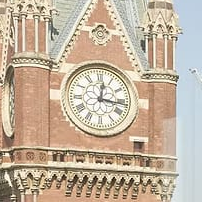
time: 12:16
